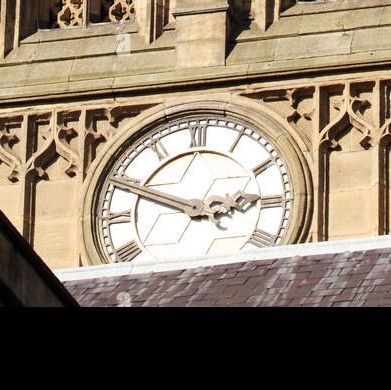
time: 2:49
